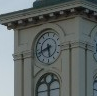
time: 5:42
